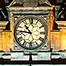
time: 10:46
